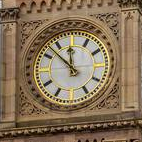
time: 11:52
